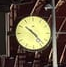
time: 10:23
